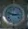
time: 2:48
